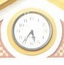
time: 5:36
